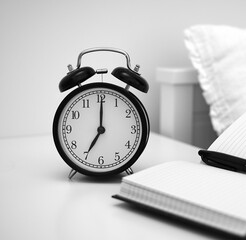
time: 7:00
